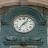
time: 1:36
